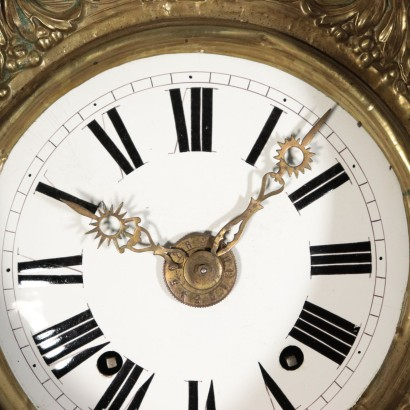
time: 10:07
